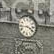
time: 3:43
